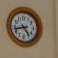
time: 4:42
